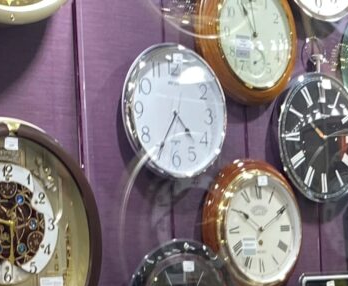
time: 4:35
